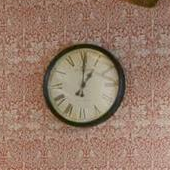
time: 1:00
